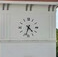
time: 4:33
